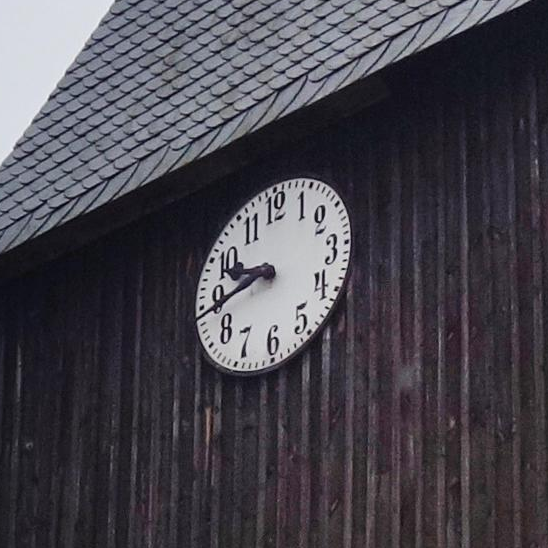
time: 9:43
